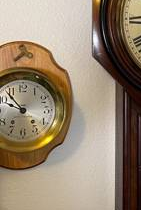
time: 9:53
